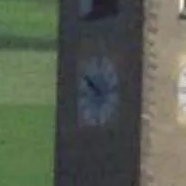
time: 10:12
